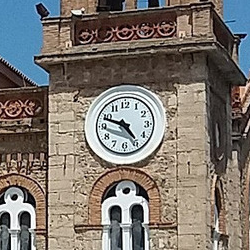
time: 4:48
